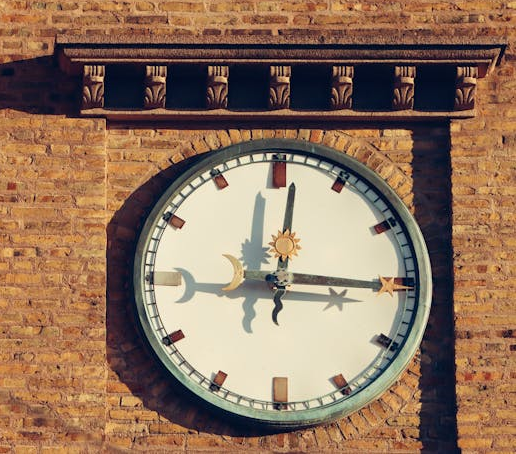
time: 12:15
